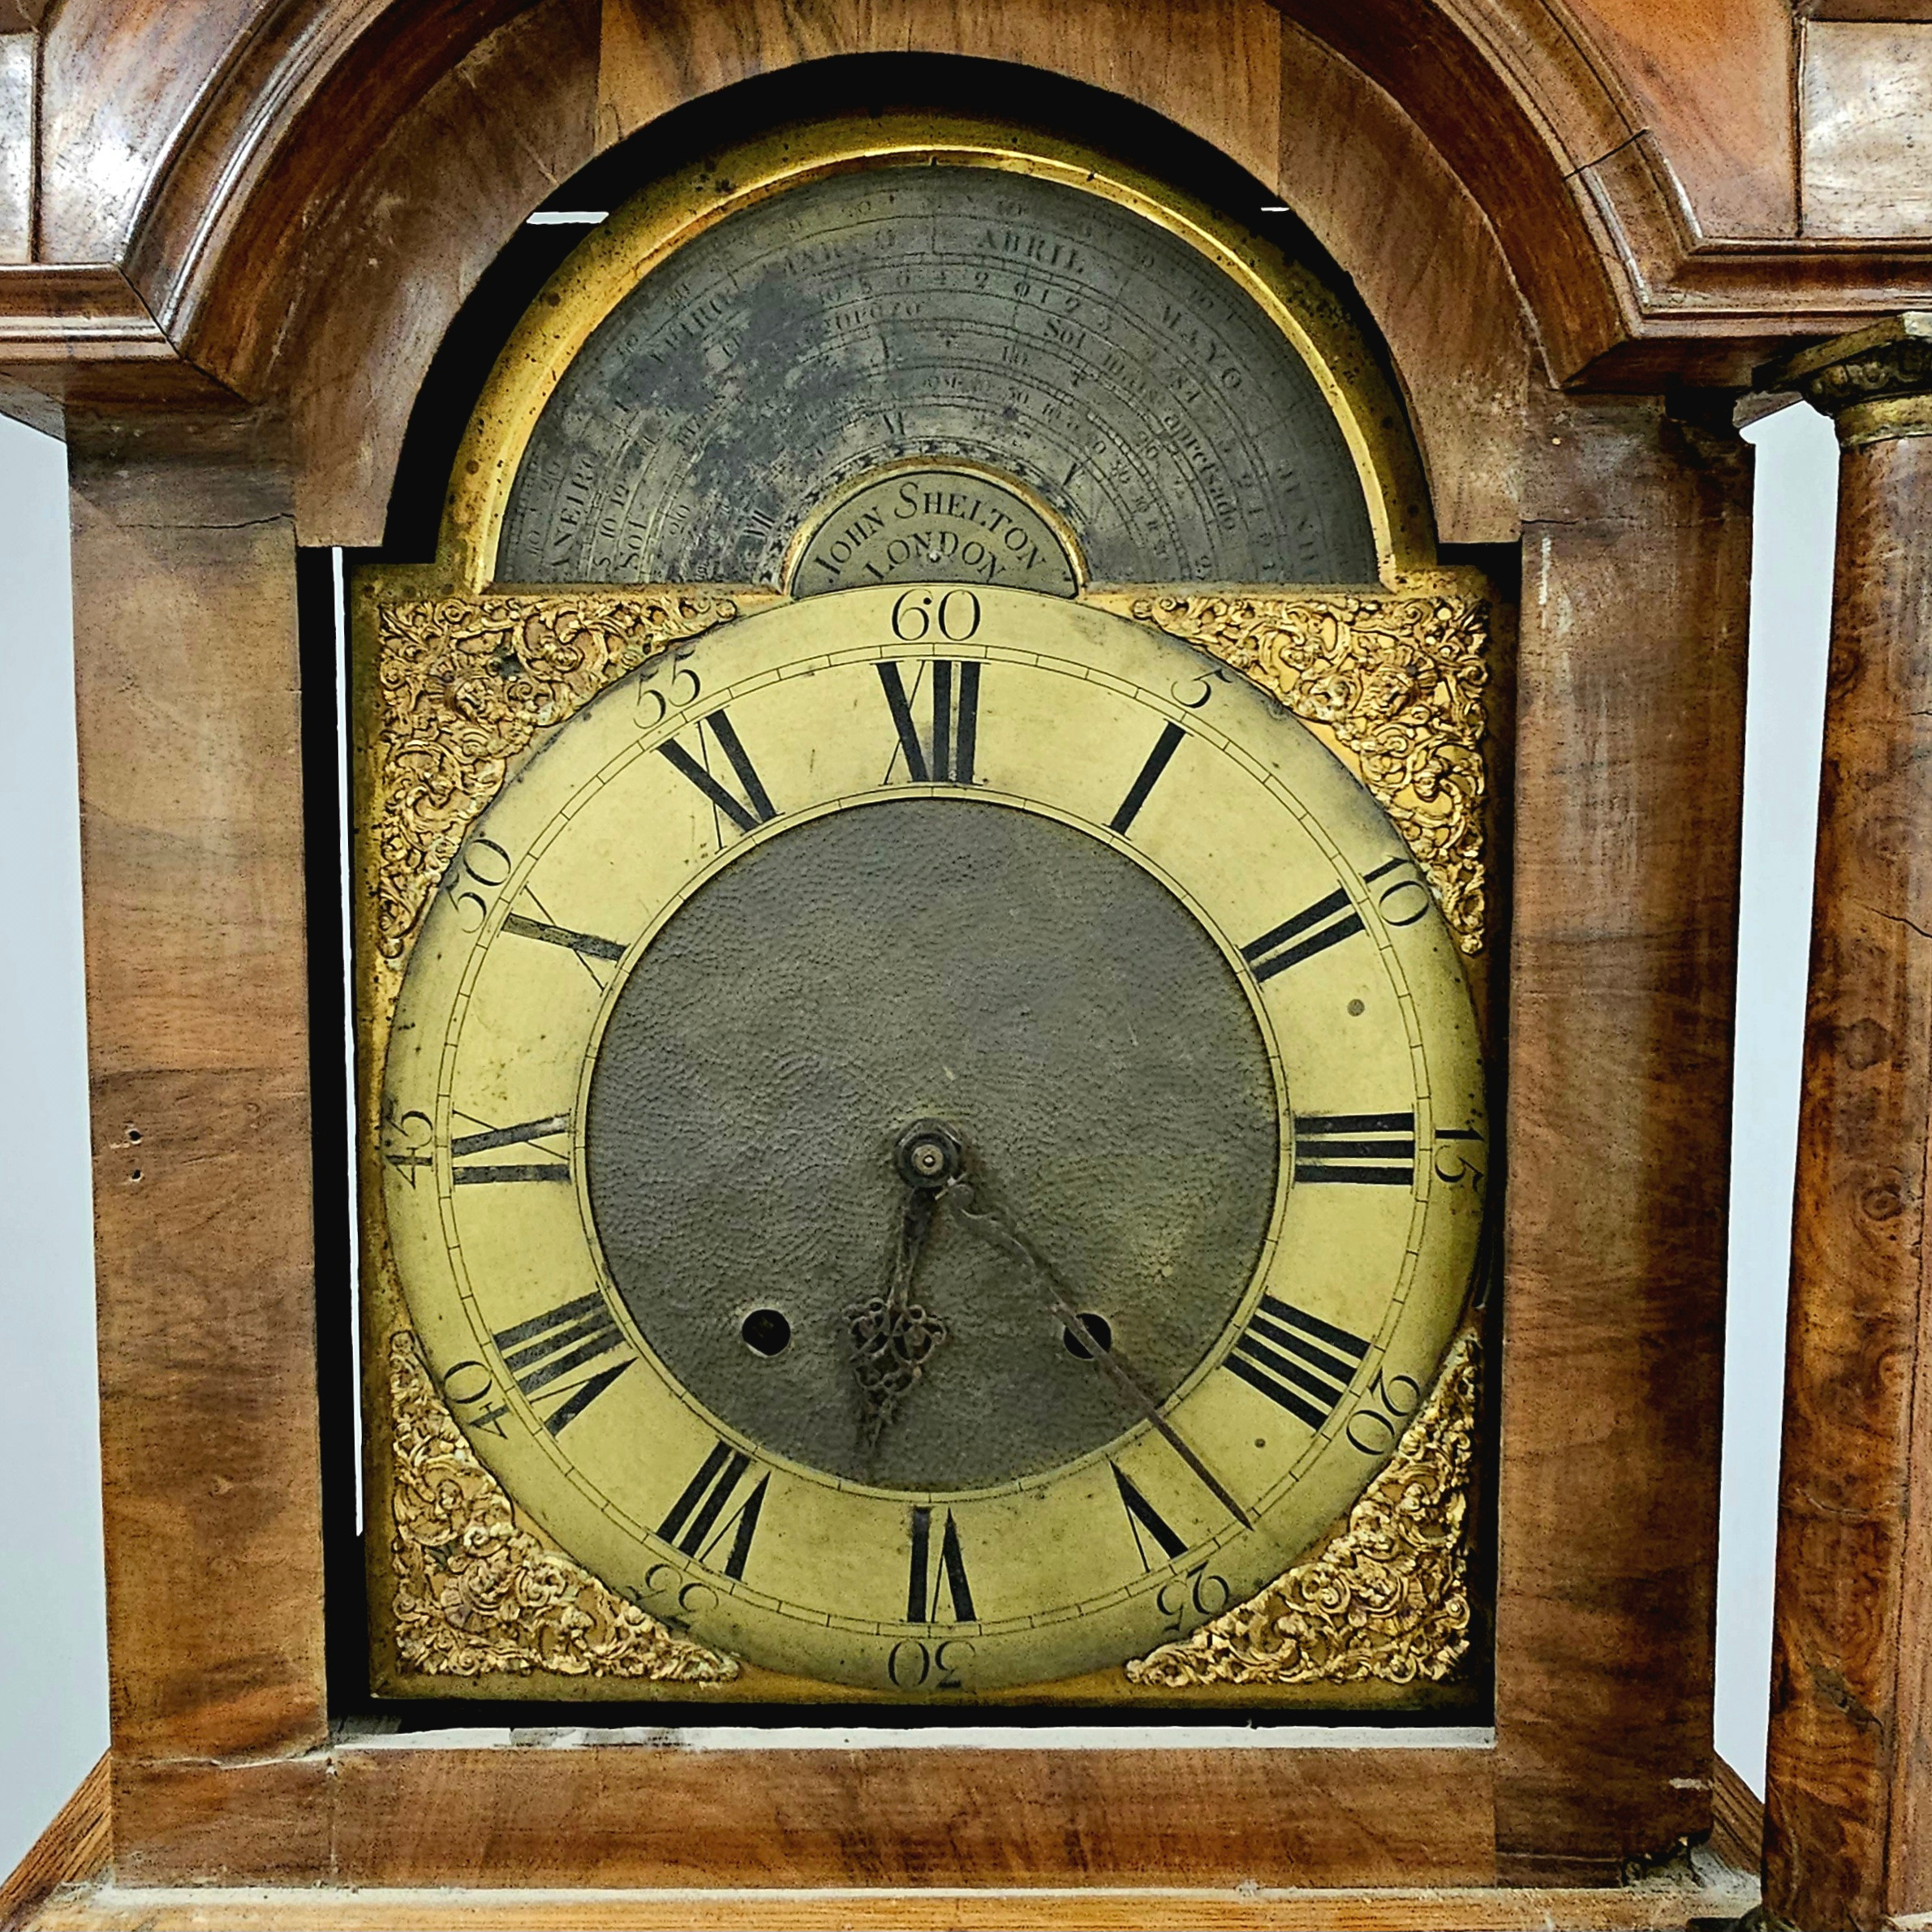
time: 6:23
